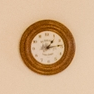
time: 1:13
